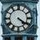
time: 4:20
